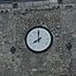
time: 7:59
